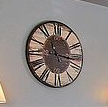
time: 11:16
